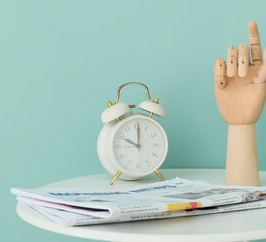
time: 10:00
